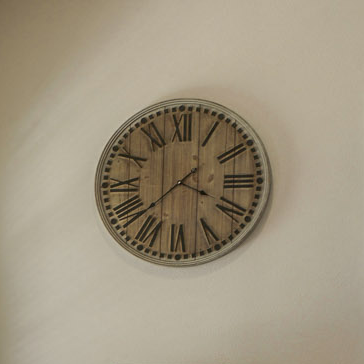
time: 3:38
